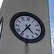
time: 4:35
